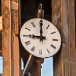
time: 9:00
